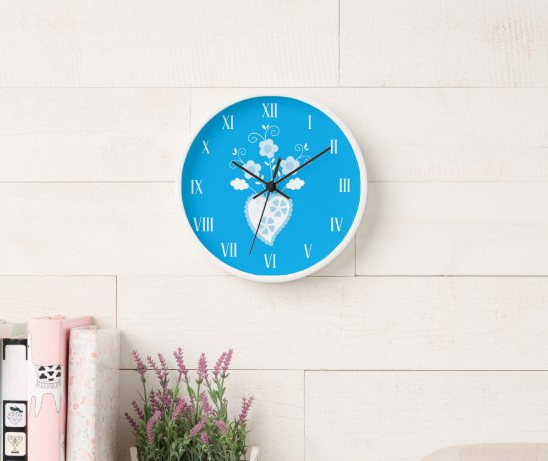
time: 12:09
